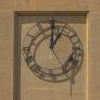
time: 1:00
